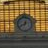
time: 12:40
